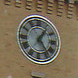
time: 1:24
